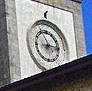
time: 2:56
